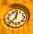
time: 12:37
